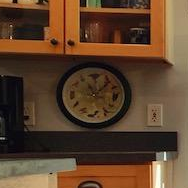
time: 11:07
